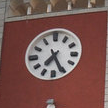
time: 7:25
